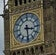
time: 3:29
